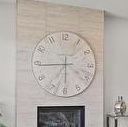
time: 5:44
